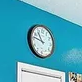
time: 10:46
